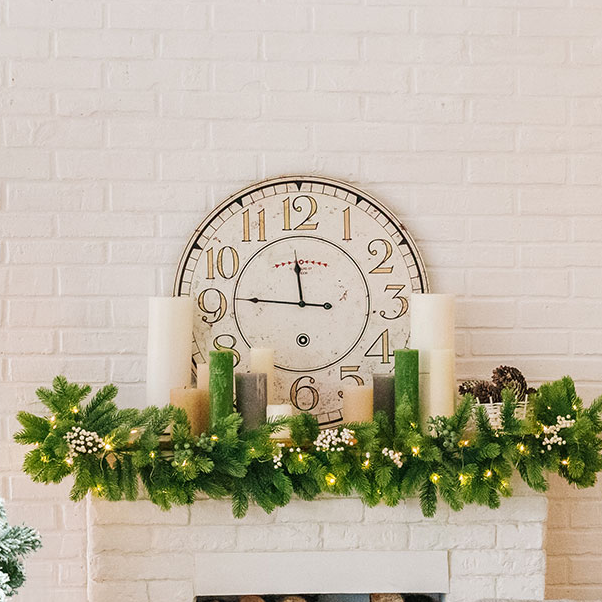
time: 11:46
